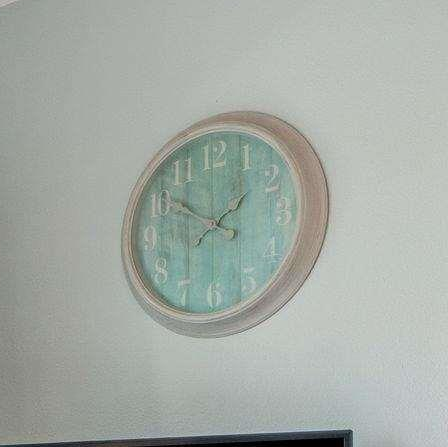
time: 1:50
